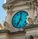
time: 7:01
